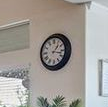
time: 1:17
